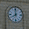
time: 7:59
